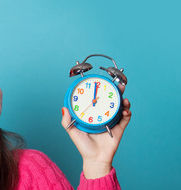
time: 12:00
